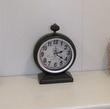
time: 2:21
